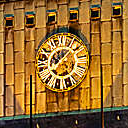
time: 12:07
